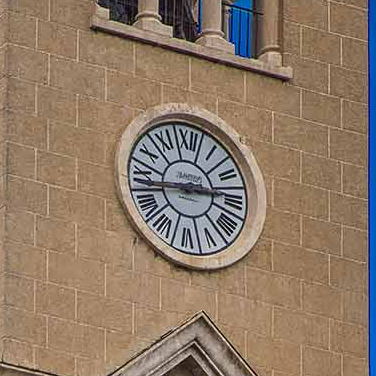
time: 2:43
